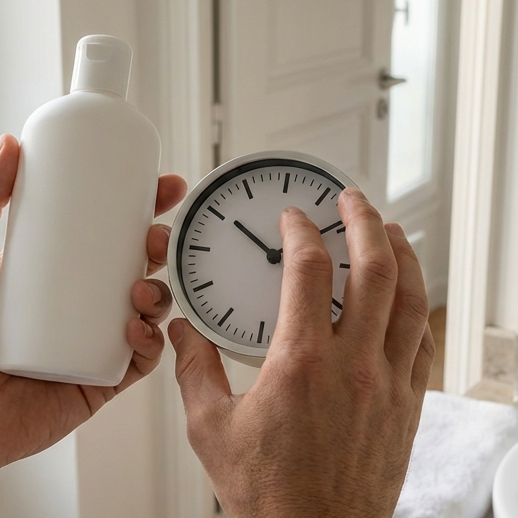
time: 11:50
